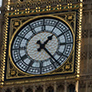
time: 1:23
